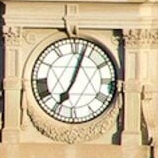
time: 7:03
